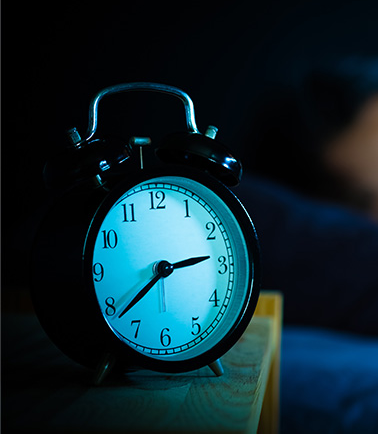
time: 2:38
